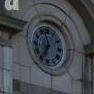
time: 6:57
